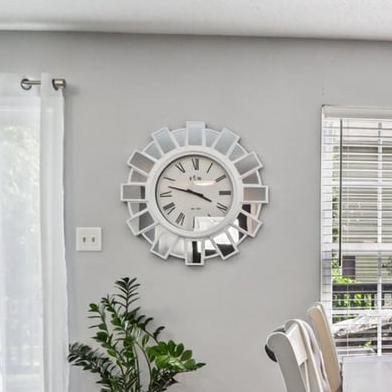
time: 3:47
